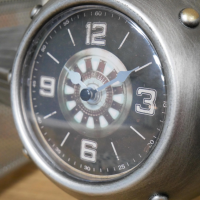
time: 8:10
